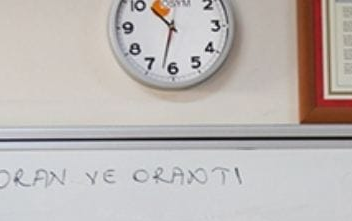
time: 10:32
